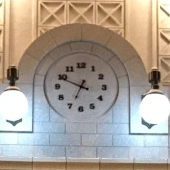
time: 6:48
